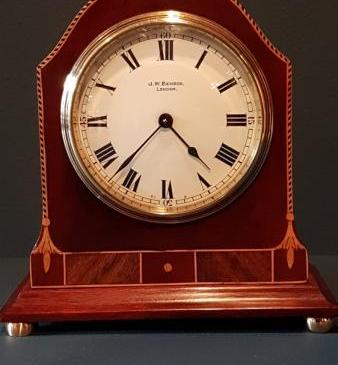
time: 4:37
